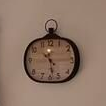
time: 10:28
